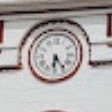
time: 6:24
